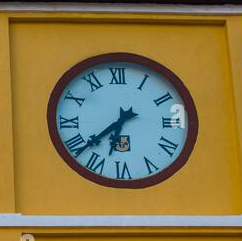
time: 6:38
